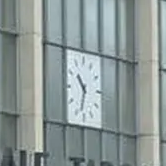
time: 10:32
